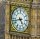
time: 4:42
